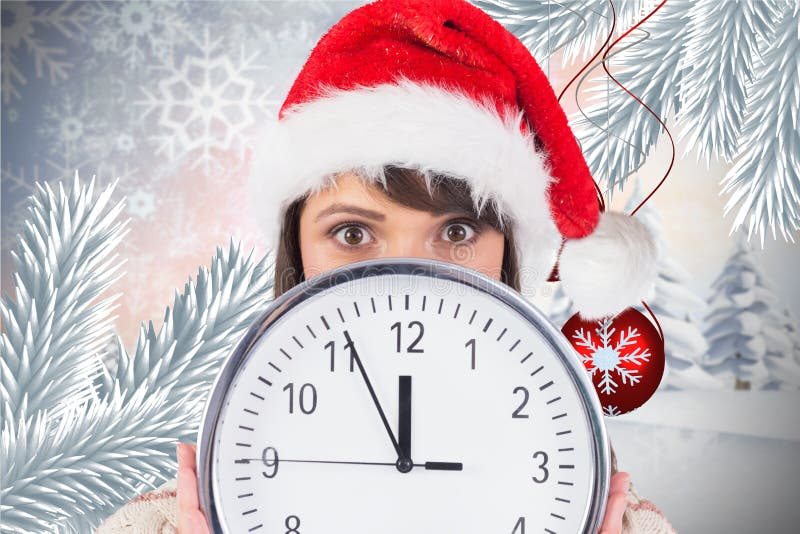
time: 11:55
